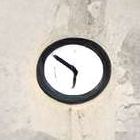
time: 5:51
